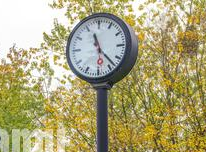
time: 11:22
